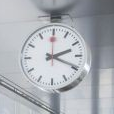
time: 2:18
